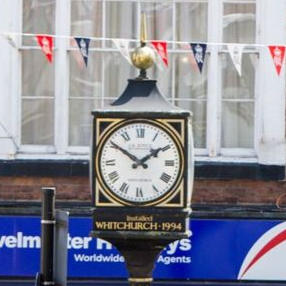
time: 1:50
